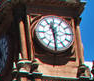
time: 11:29
